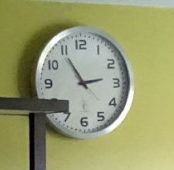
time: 2:54
